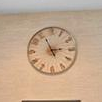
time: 2:56
